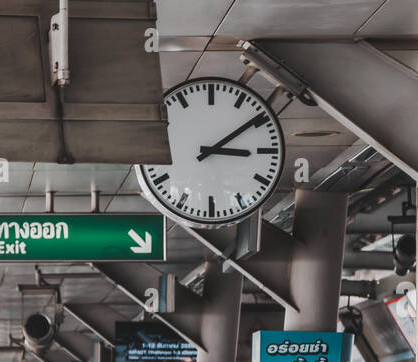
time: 3:09
